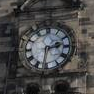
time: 2:31
